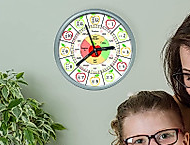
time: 2:56
